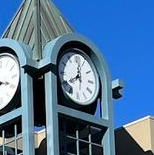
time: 8:01
